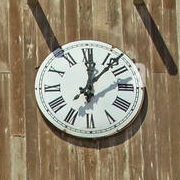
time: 12:07
